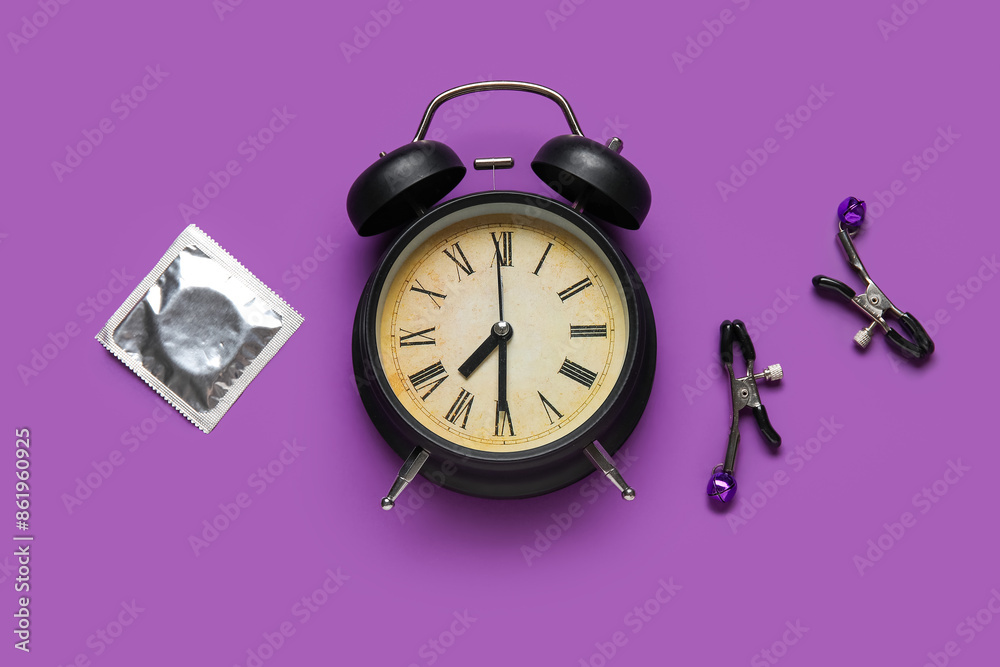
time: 7:30
